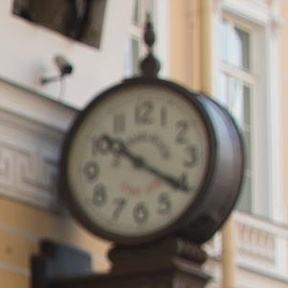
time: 10:20
